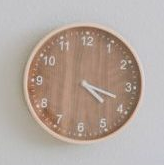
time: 4:18
